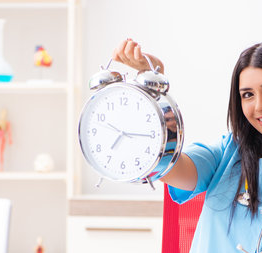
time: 7:15
